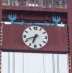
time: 6:41
